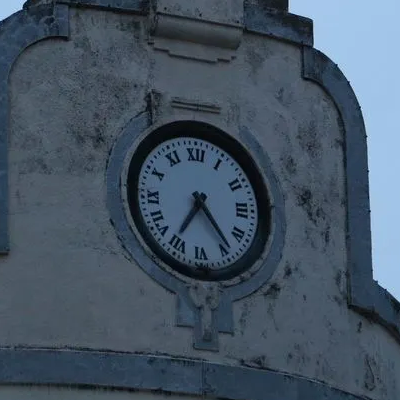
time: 4:35
